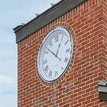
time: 12:52
